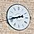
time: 2:42
